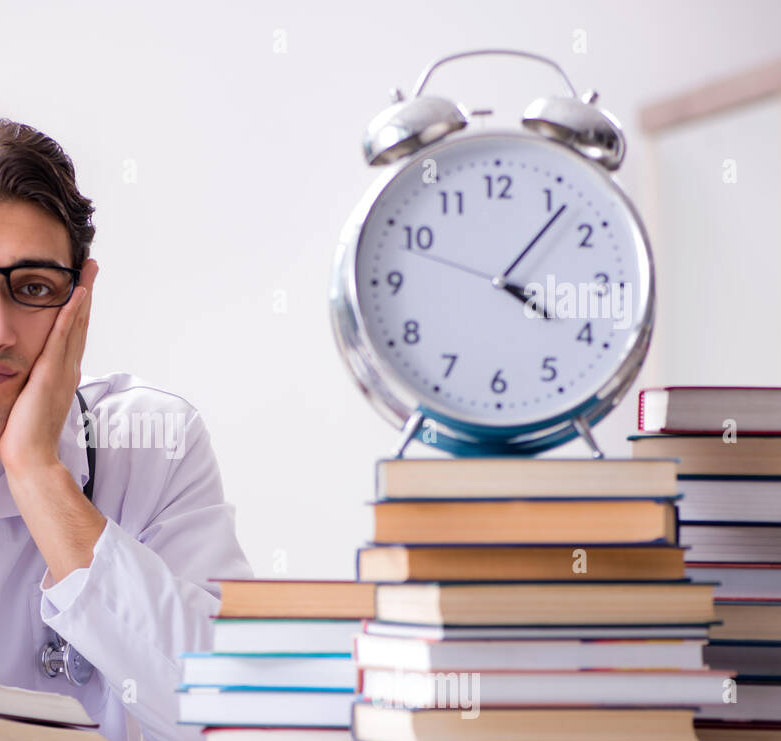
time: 4:06
